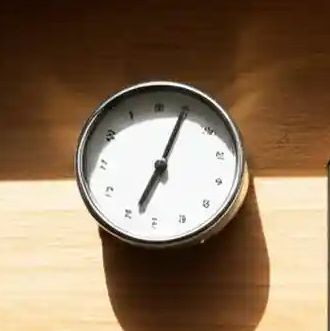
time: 7:04
